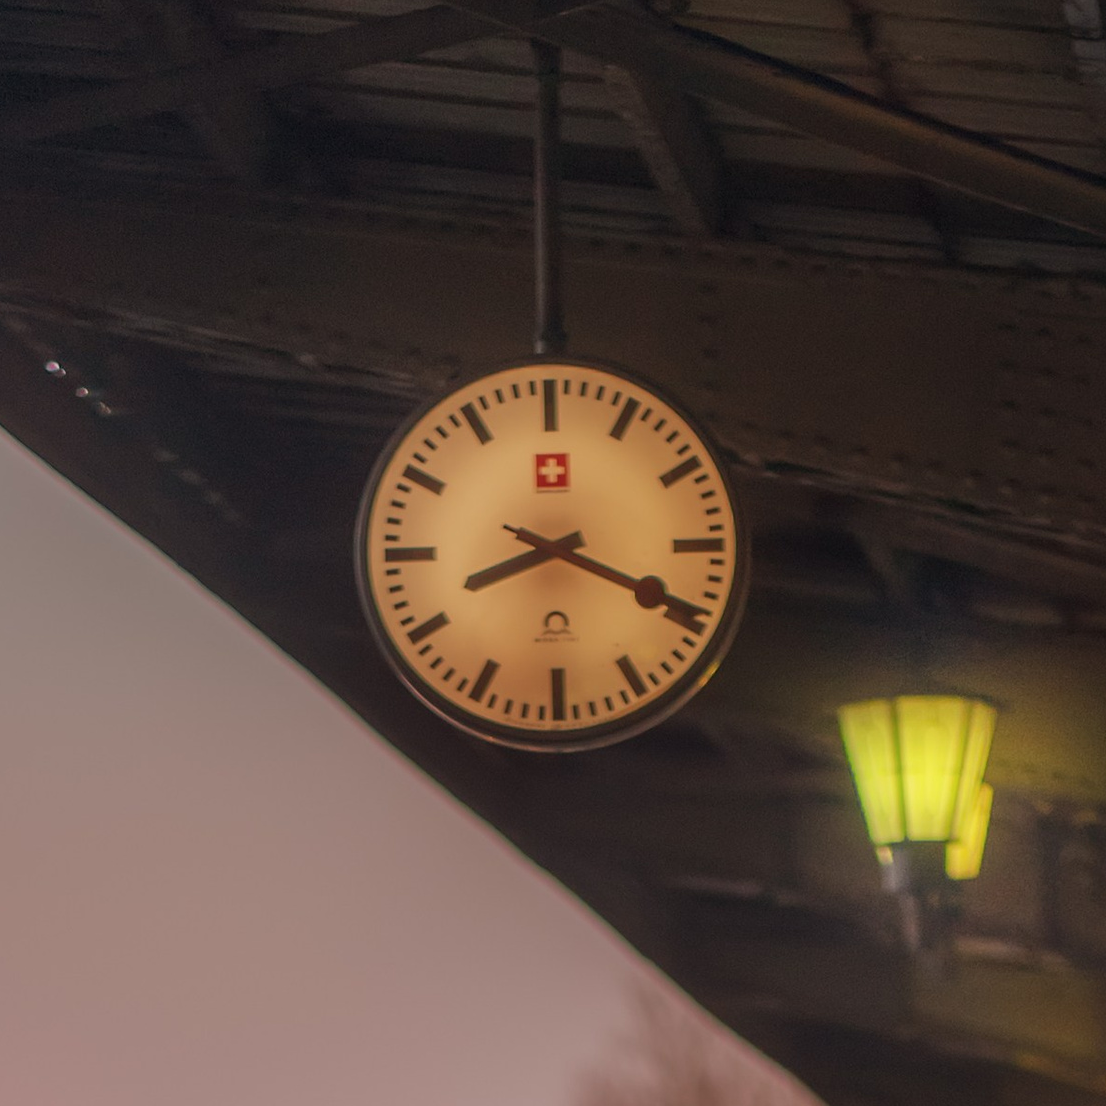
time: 8:19
